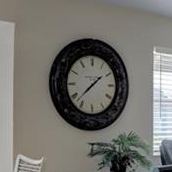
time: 1:37
